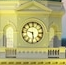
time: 5:47
